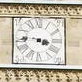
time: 3:46
